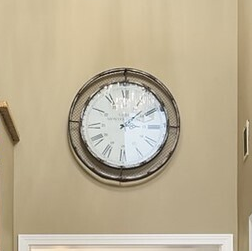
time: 1:28
